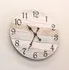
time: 10:34
